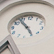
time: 4:53
